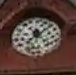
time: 12:07
